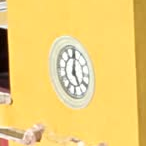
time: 5:00
